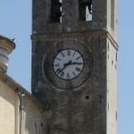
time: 2:37
